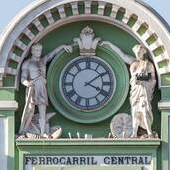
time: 4:09
